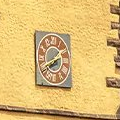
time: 7:41
